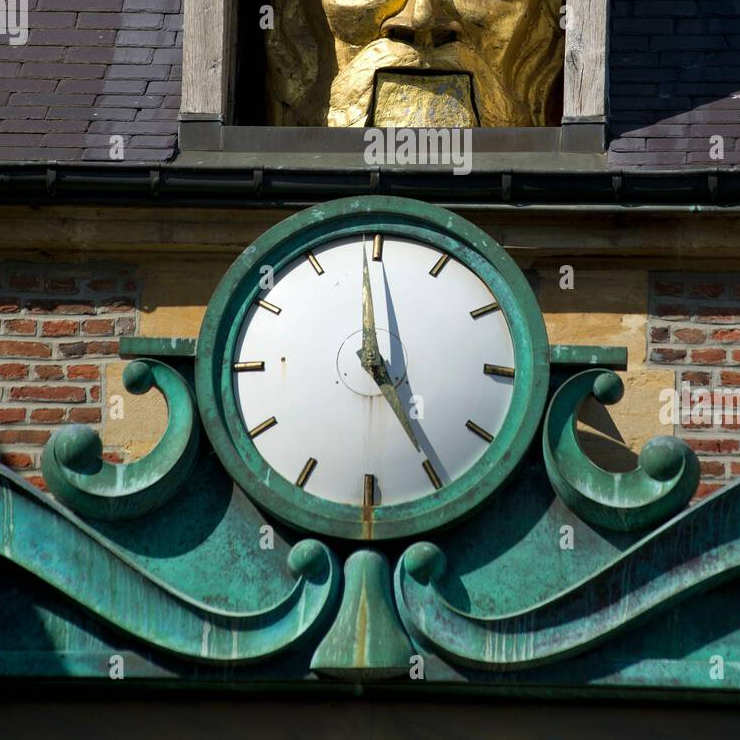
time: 4:58
